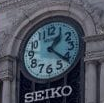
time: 1:21
